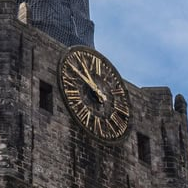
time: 10:50
